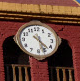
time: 4:26
